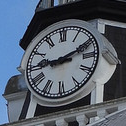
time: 9:11
